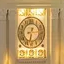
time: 6:13
